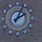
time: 2:04
